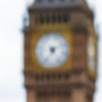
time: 5:12
